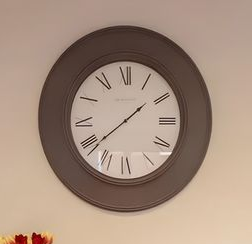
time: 1:38
